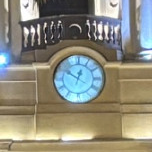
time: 12:50
